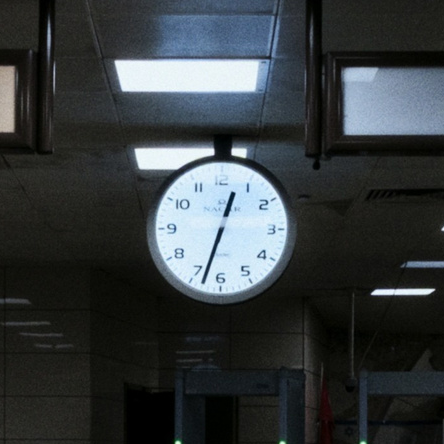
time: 12:32
